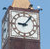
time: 9:06
